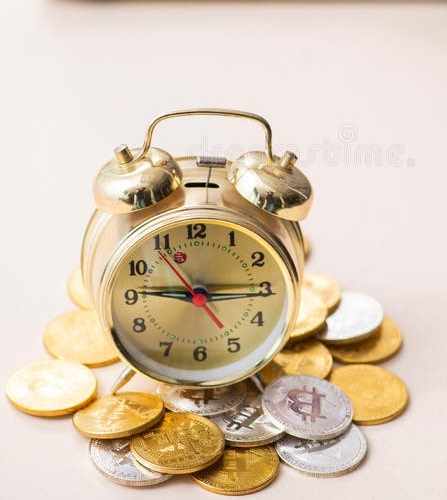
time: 9:15
